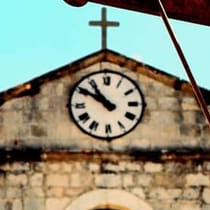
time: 10:50
